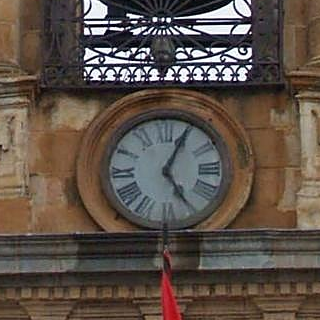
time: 5:04
